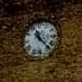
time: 11:22
